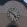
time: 4:50
